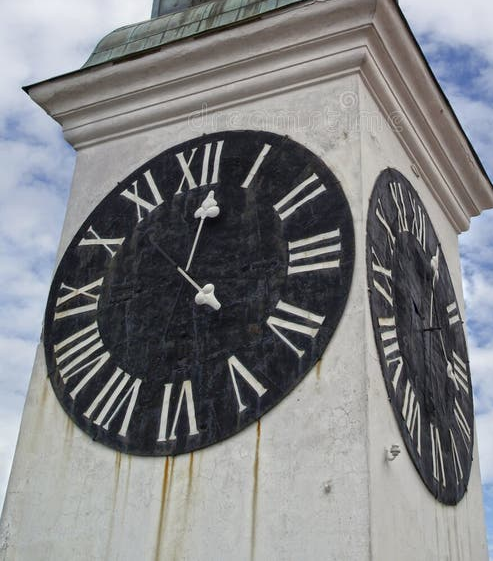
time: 12:22
